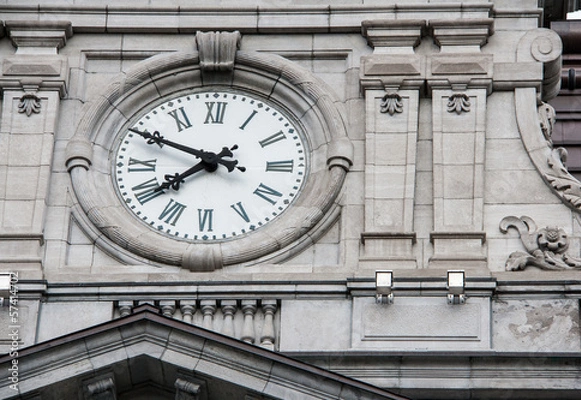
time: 7:49
